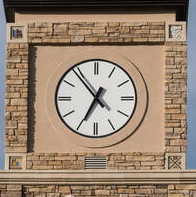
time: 6:53
